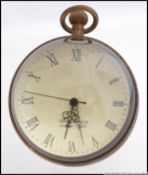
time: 5:31
